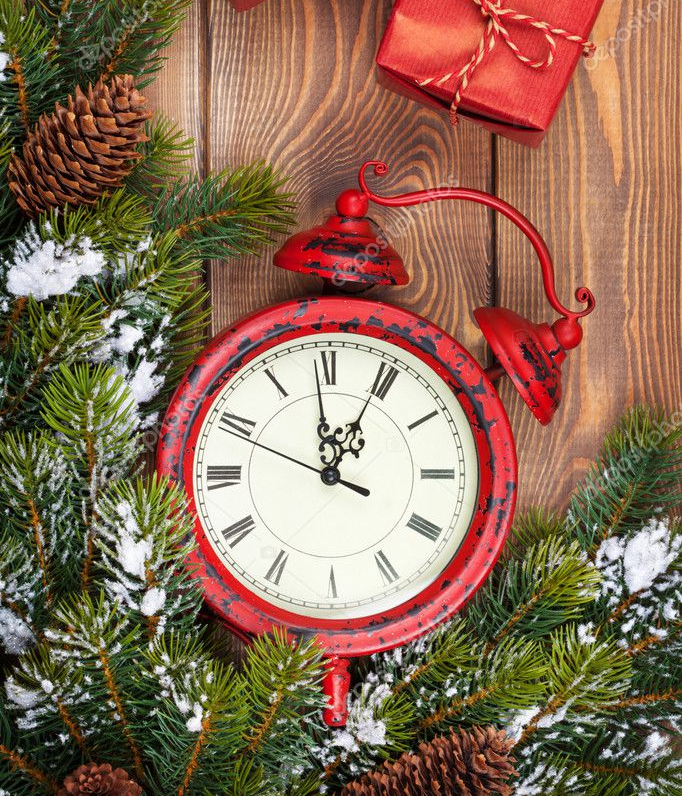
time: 12:58
